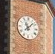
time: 11:07
